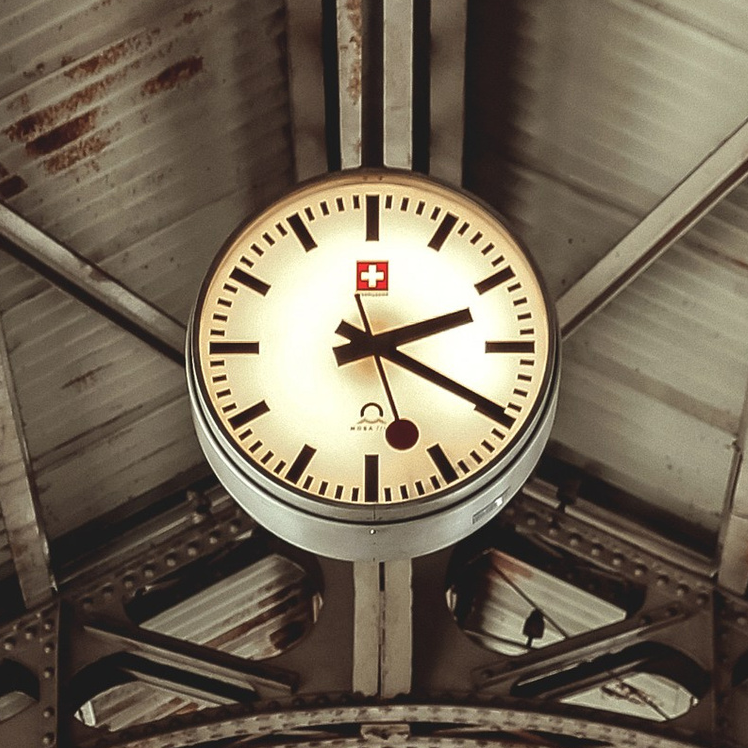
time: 2:19
